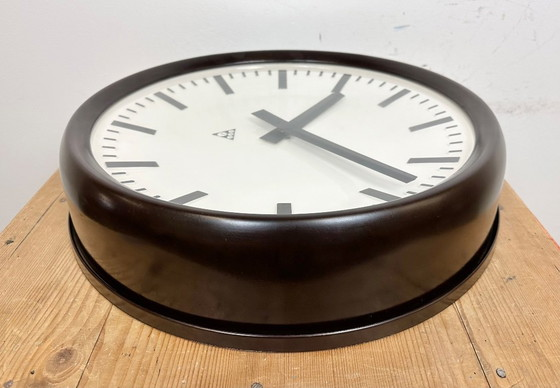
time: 1:22
